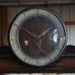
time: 1:49
